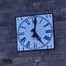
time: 5:01
